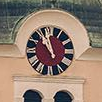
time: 10:57
